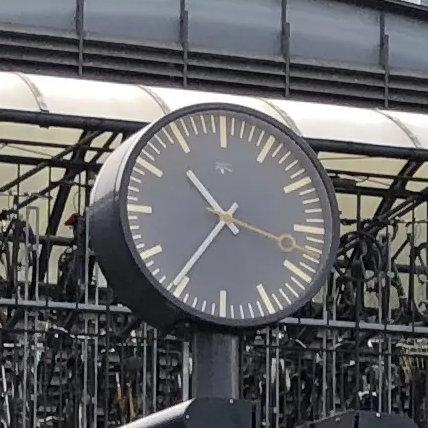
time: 10:35
